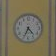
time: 4:34
